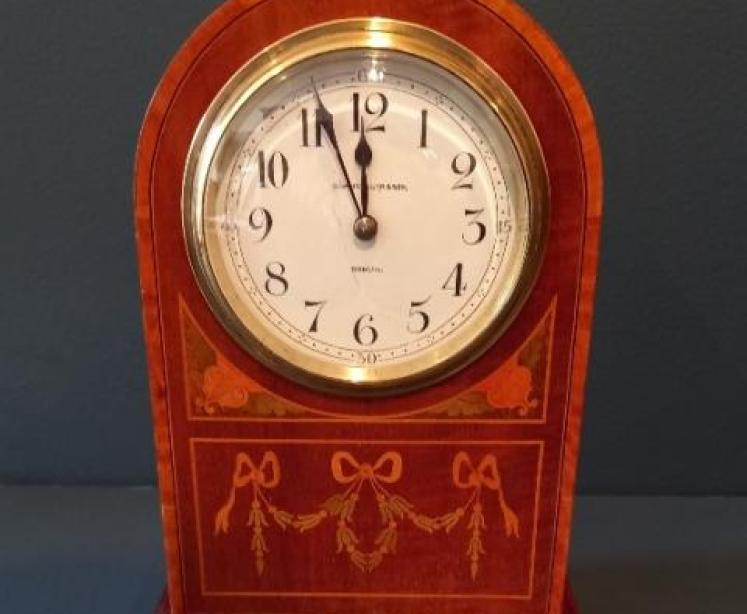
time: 11:56
